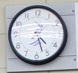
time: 4:27
